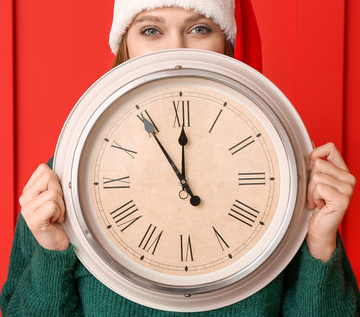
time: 11:54
